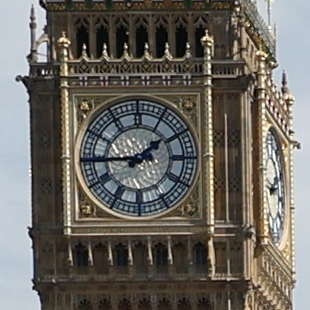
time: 1:44
